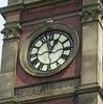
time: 12:57
